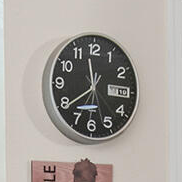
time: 11:39
